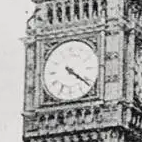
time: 4:21
